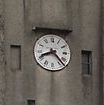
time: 8:22
